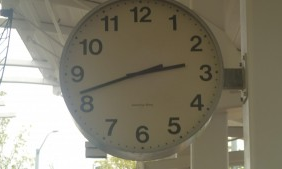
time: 2:42
